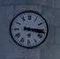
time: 3:16
